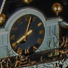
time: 8:03
